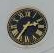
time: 2:35
